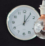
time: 12:05
